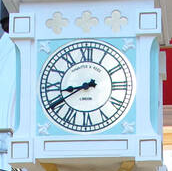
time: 8:39
